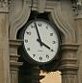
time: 3:57
